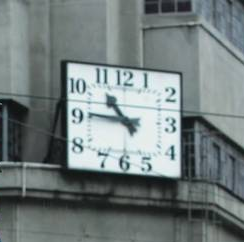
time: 10:45
